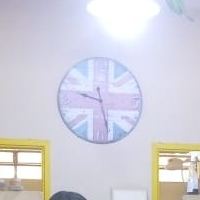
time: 9:28
